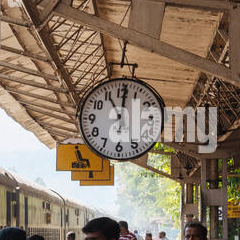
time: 11:01
